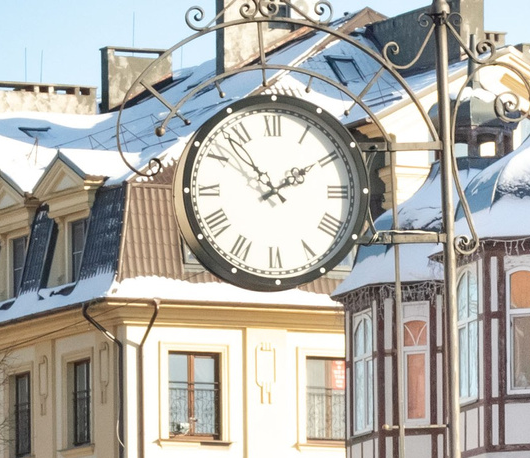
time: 1:53
